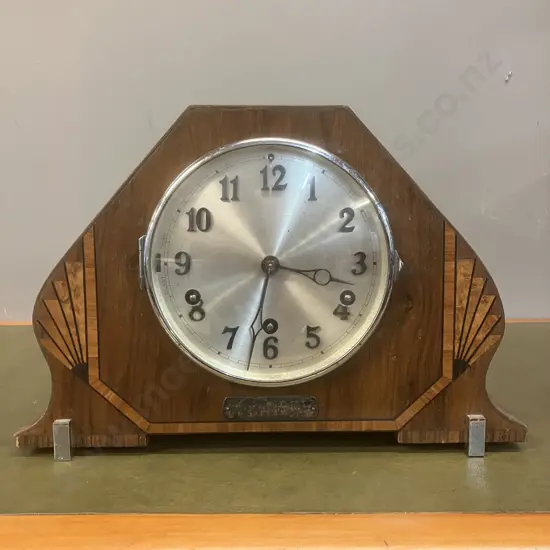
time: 3:32
